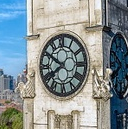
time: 7:50
